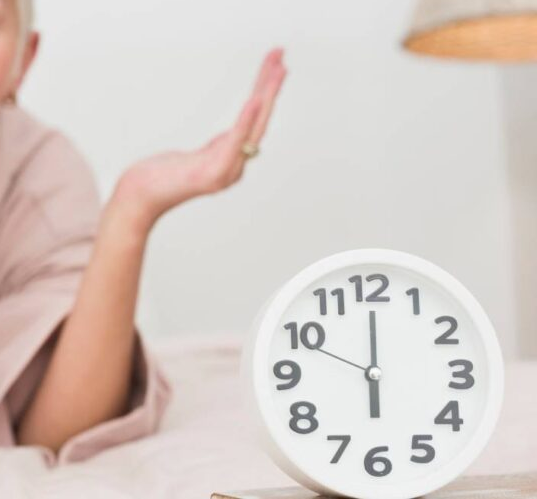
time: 5:59
